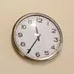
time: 11:35
